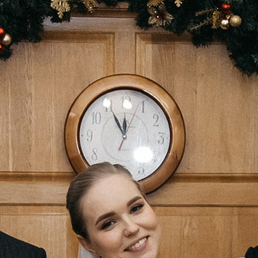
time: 11:55
